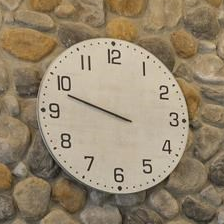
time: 9:48
